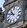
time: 10:47
